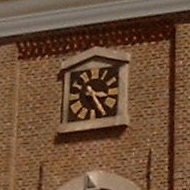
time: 3:24
